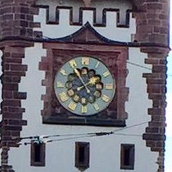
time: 7:54
